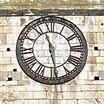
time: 11:28
